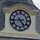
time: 4:44
